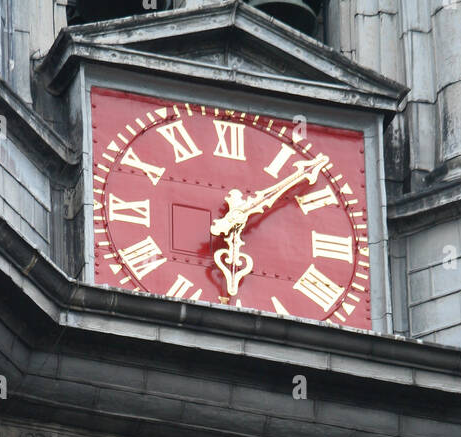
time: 6:07
